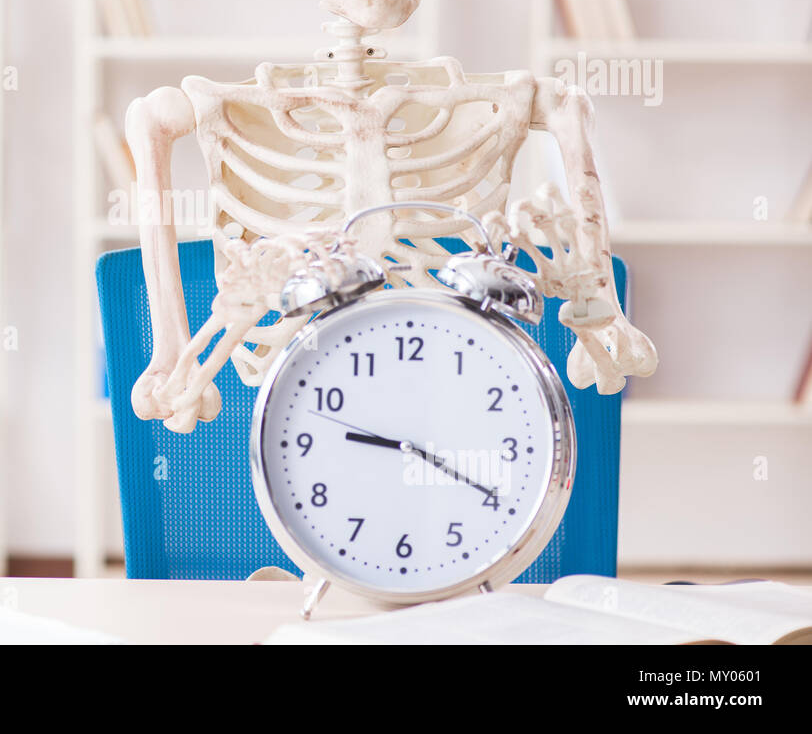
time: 9:19
